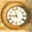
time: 8:57
